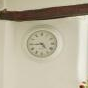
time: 4:44
